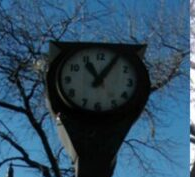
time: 11:05
